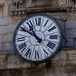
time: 10:50
